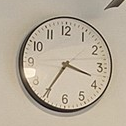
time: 3:35
